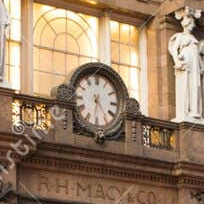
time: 4:31
